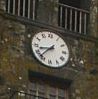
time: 8:37
